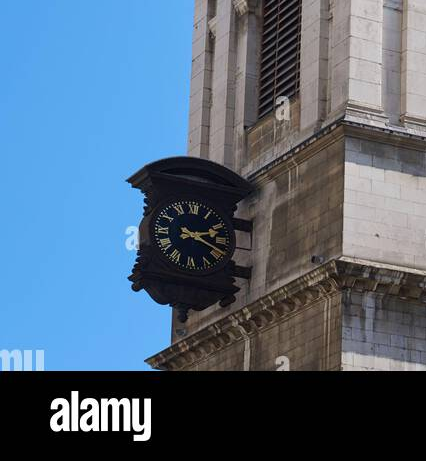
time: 2:18
